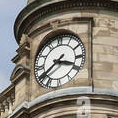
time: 3:39
